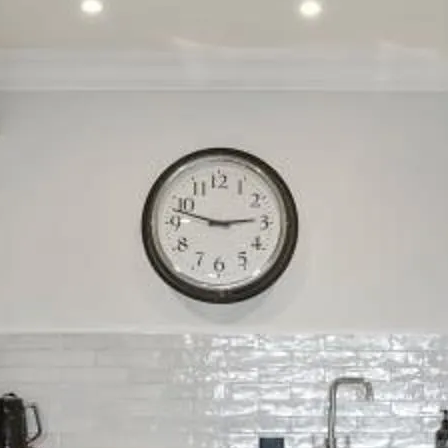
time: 2:47
